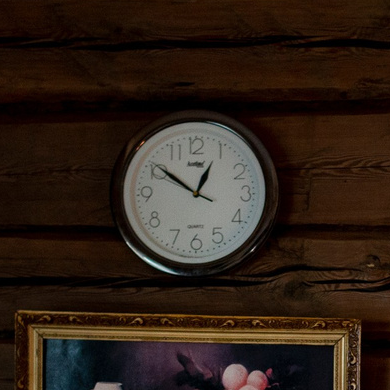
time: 12:50
